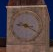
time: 9:20
